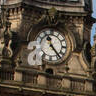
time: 11:23
